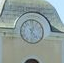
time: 12:23
